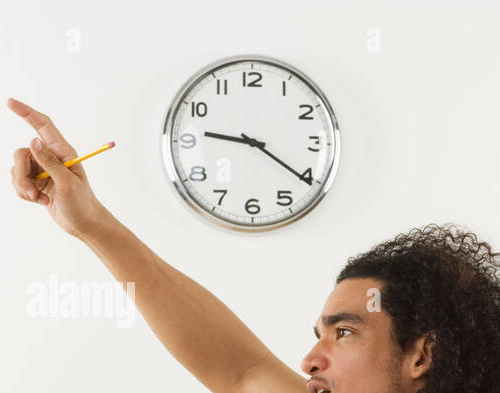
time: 9:20
